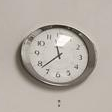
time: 11:37
